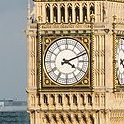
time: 4:11
